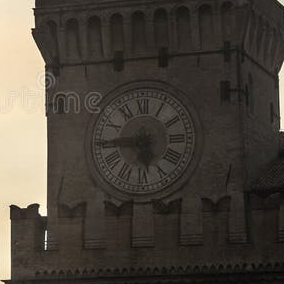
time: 5:44
